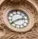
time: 2:40
